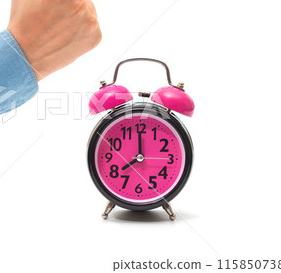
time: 7:59
